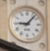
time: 9:07
